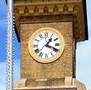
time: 1:18
